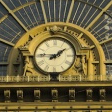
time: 1:46
